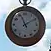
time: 11:09
